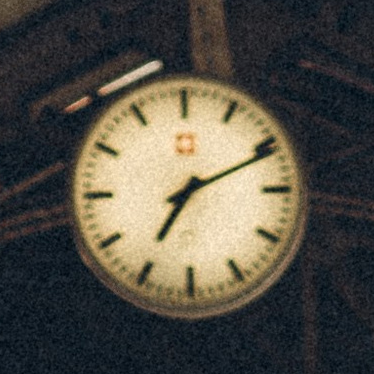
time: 7:11
